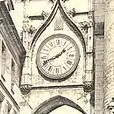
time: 1:41
